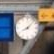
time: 8:07
